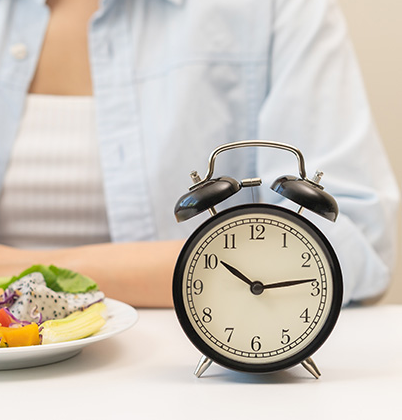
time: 10:13
